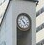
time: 4:52
